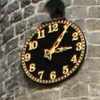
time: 3:05
